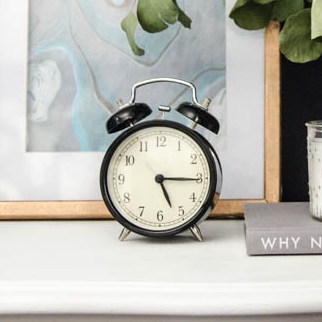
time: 5:15
